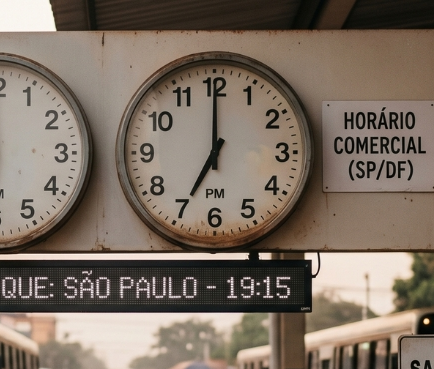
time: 7:00
